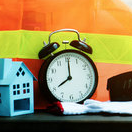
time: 8:00
